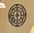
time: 5:59
